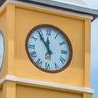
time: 11:54
